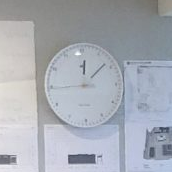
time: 12:08
